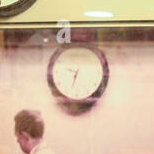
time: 6:32
